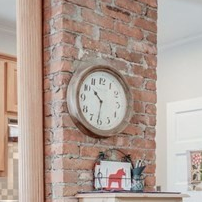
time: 10:31
